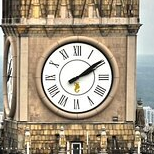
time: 2:09
